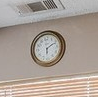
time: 6:10
